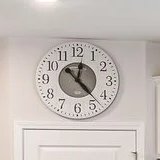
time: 12:23
